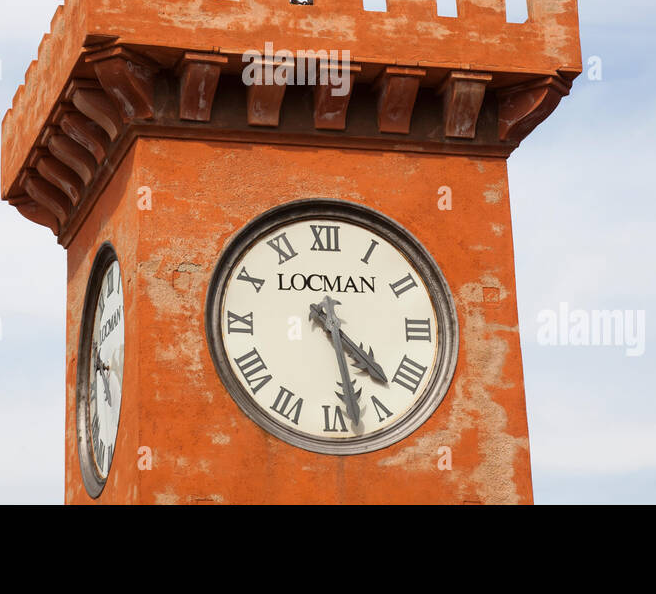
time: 4:27
